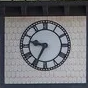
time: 9:34
